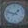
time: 1:47
